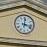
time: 12:16
